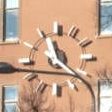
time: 11:21
